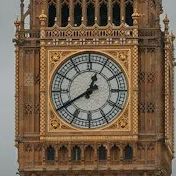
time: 12:40
